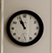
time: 10:56
